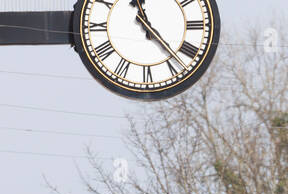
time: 11:22
